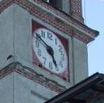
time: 4:50
